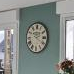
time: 2:20
